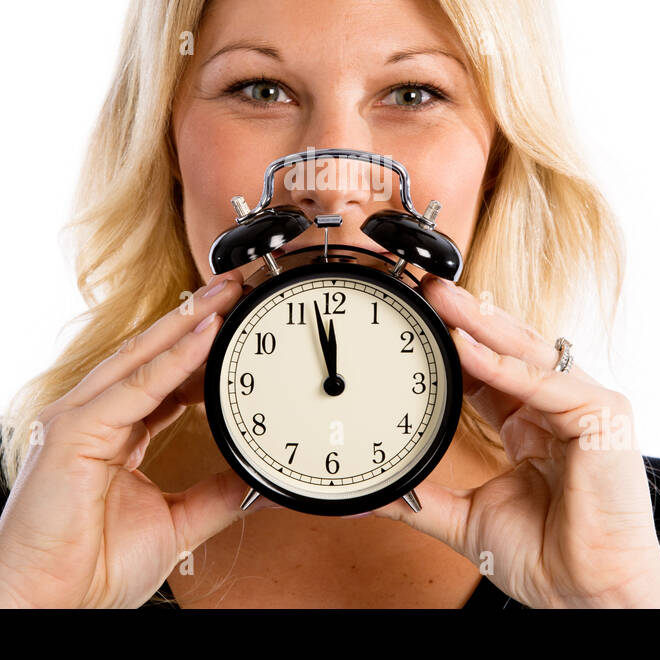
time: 11:57
